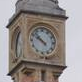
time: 9:52
